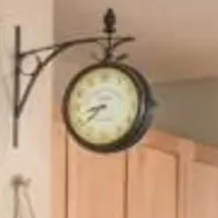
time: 8:38
